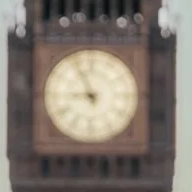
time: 8:56
